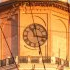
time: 11:17
